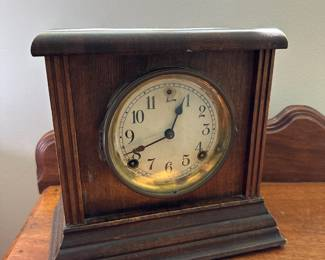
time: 12:41
